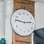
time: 2:46
